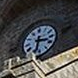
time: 3:32
